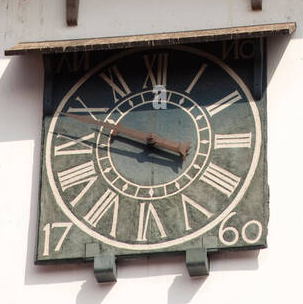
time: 3:47
